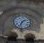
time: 1:33
